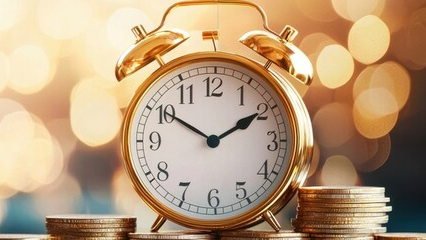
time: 1:50
